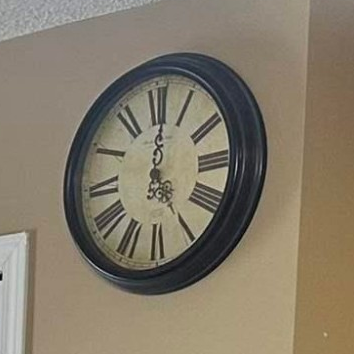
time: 5:01
